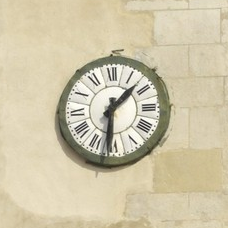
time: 1:31
